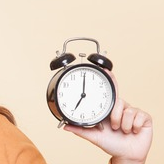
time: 7:00
